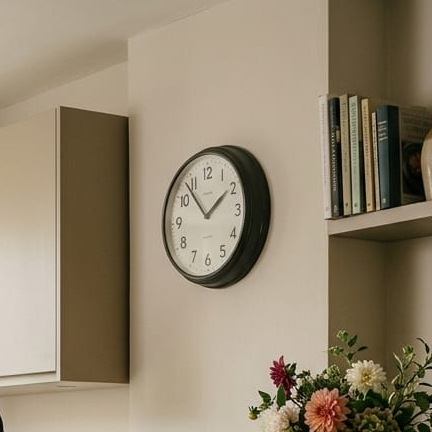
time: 1:52
